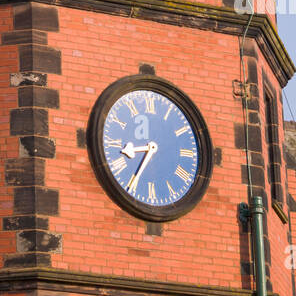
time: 8:35
